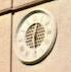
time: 12:29
